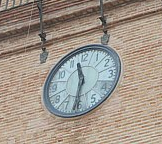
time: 11:31
